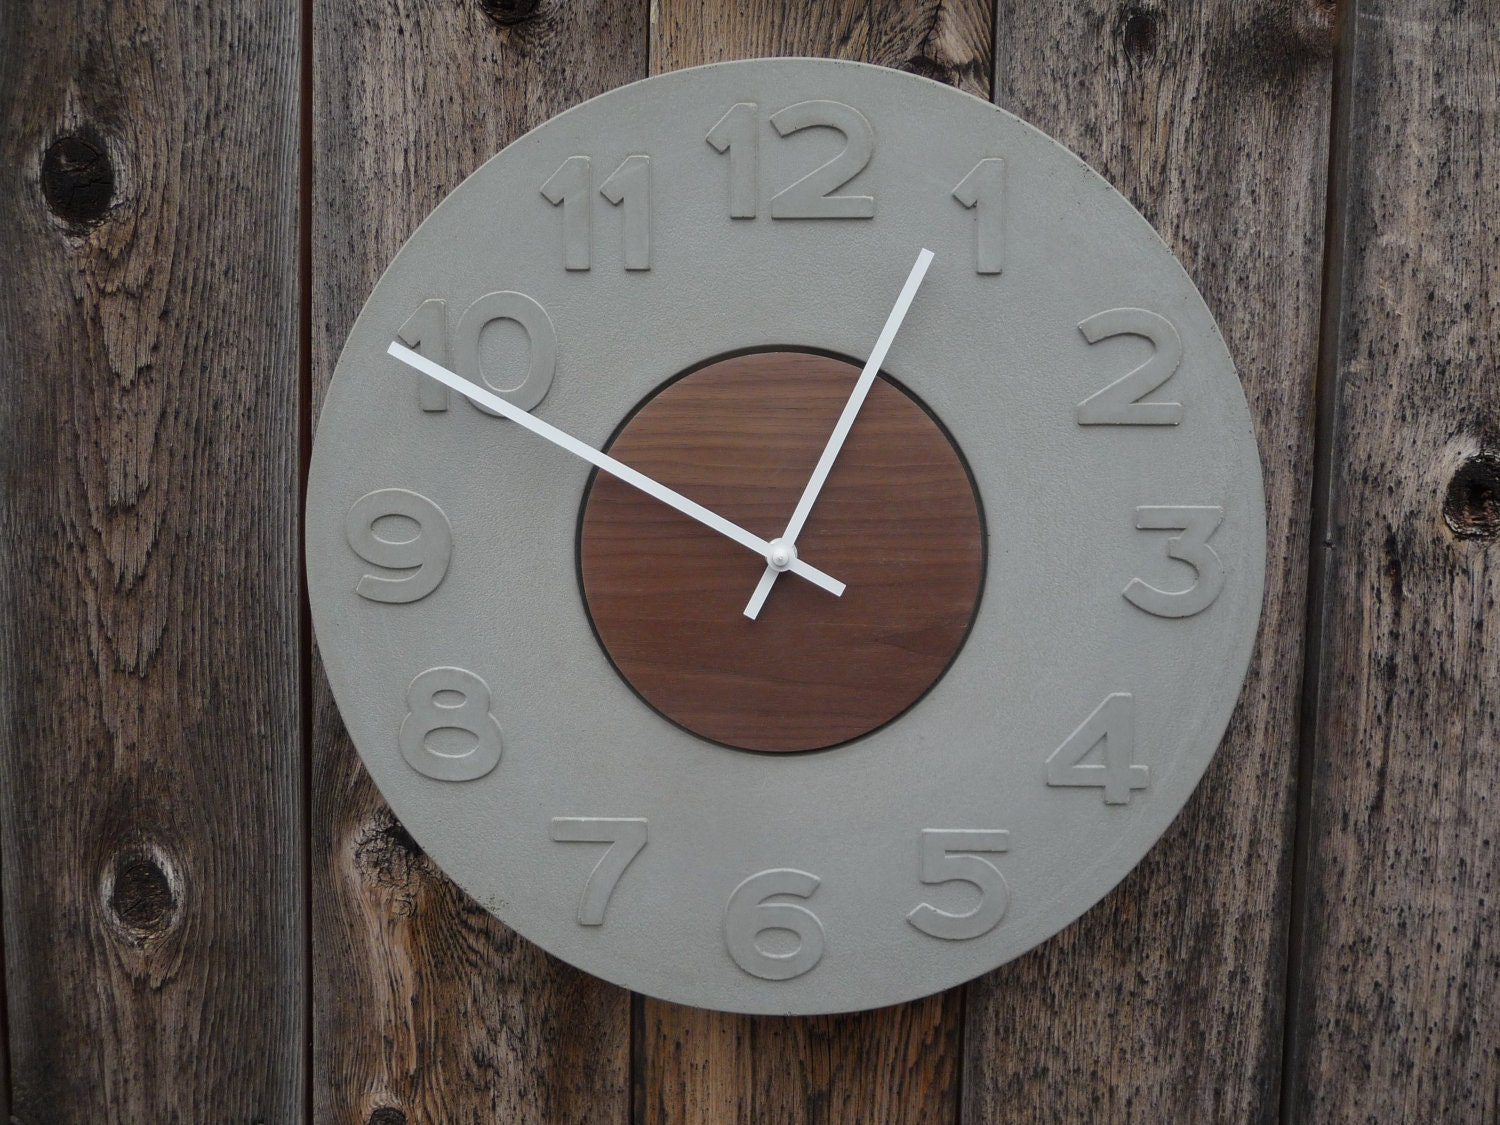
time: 12:49
